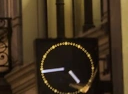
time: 4:44
